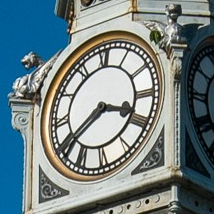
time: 3:39
